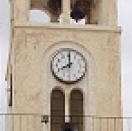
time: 7:59
